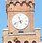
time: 11:41
